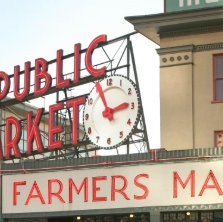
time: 2:56
